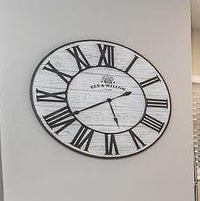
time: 5:40
